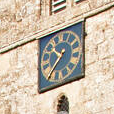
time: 10:36
